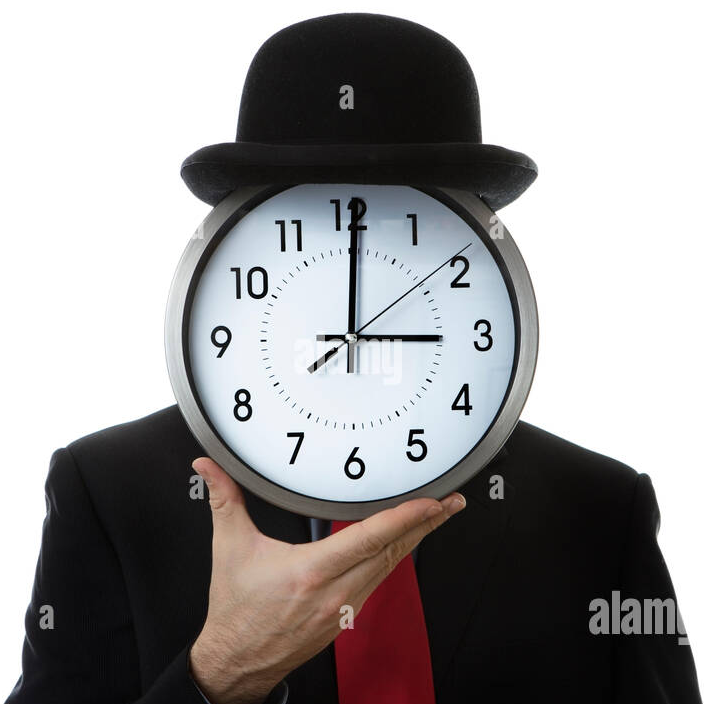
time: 3:00
